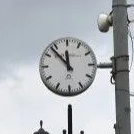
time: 11:53
